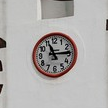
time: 11:14
